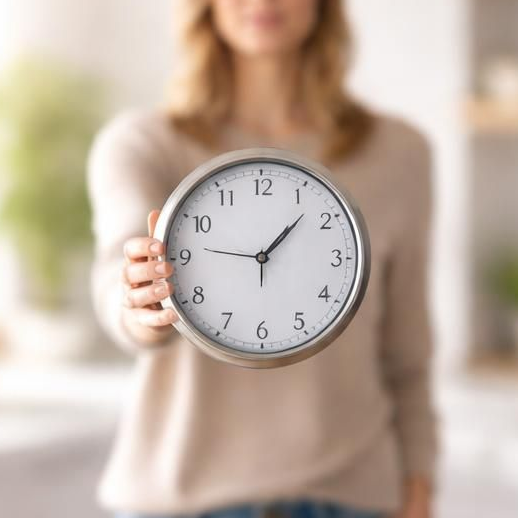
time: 1:46
